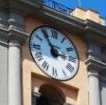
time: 2:54
